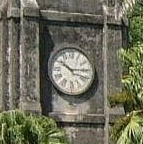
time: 10:14
